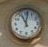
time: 11:01
